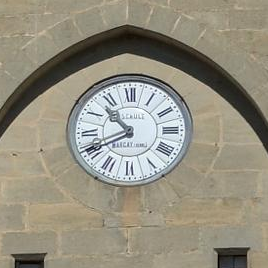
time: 10:40
